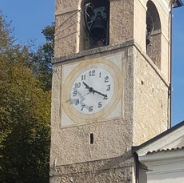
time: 10:19
